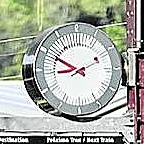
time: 8:49
